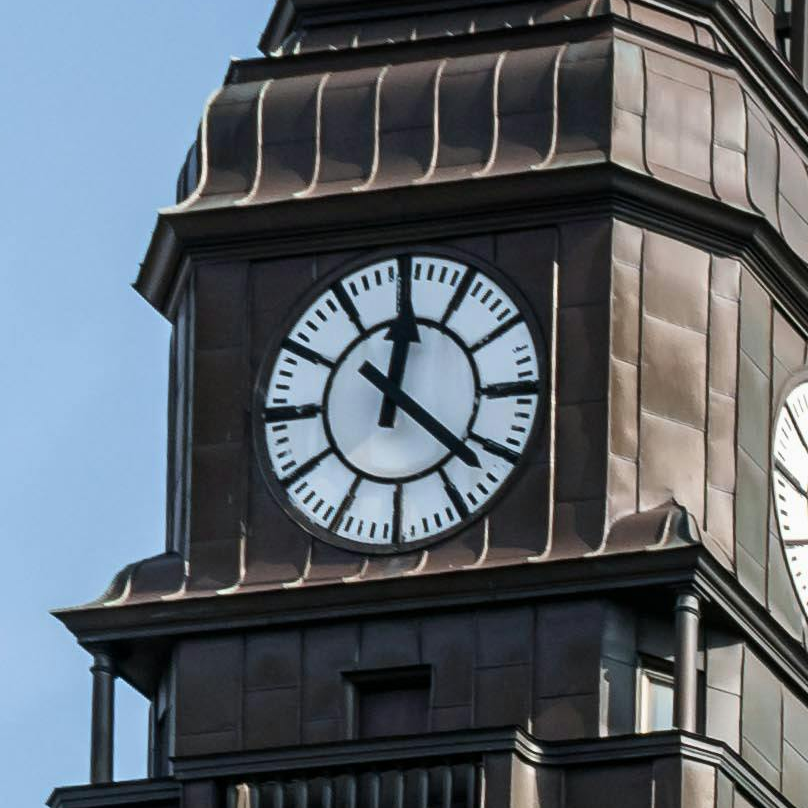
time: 12:21
